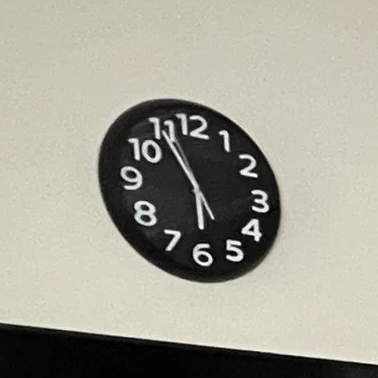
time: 5:54
